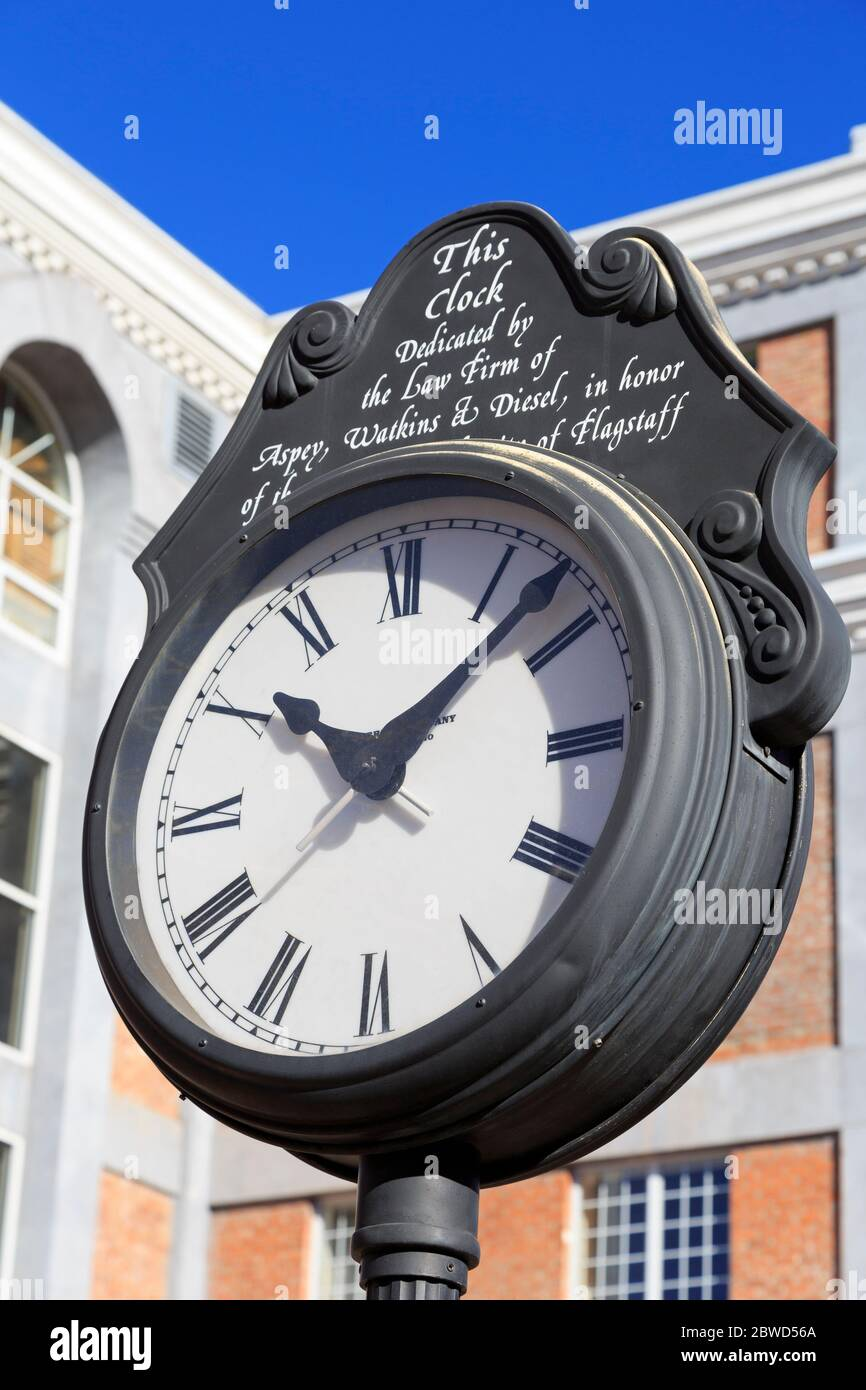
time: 10:07
